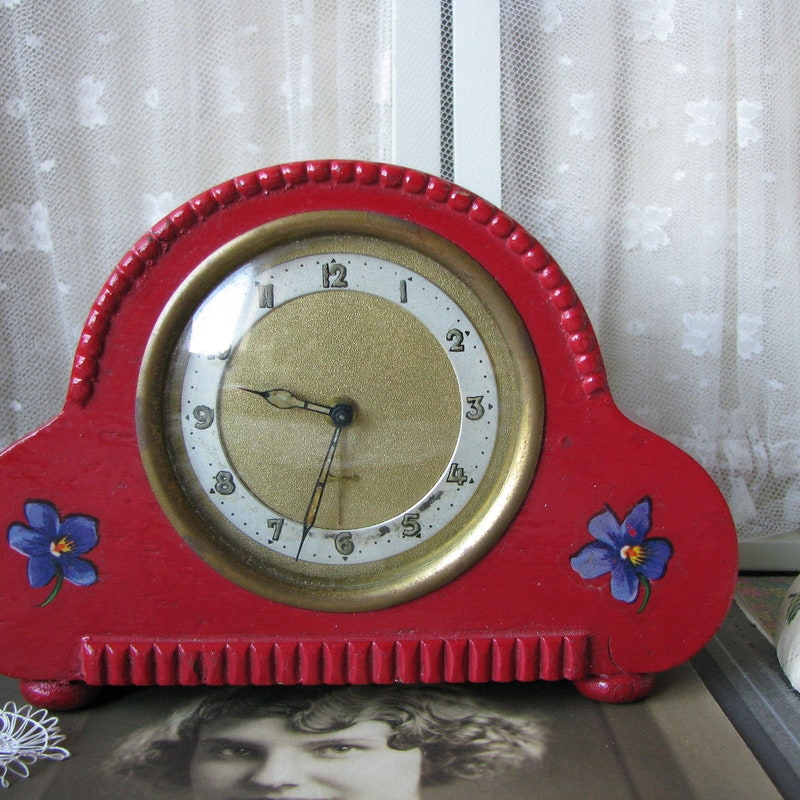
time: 9:33
